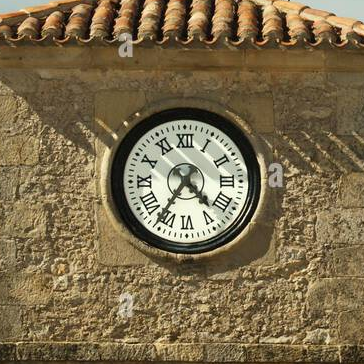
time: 4:35
